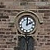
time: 2:00
